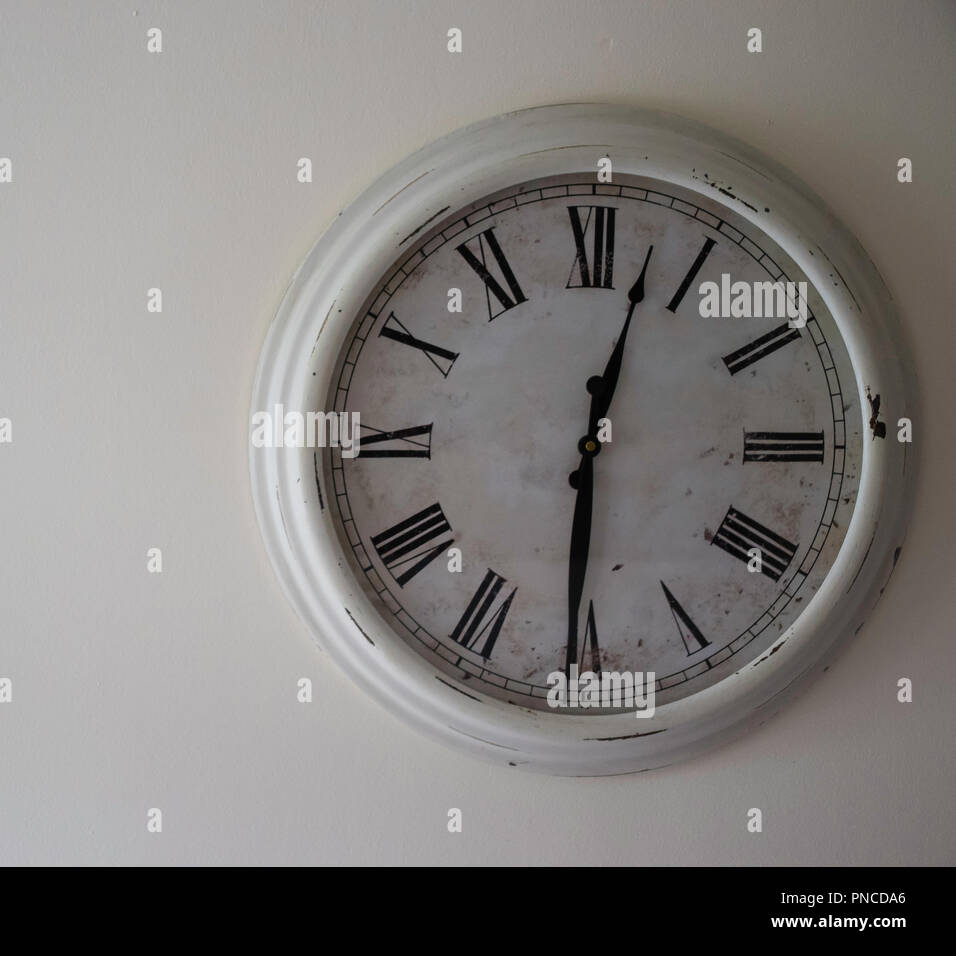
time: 12:30
